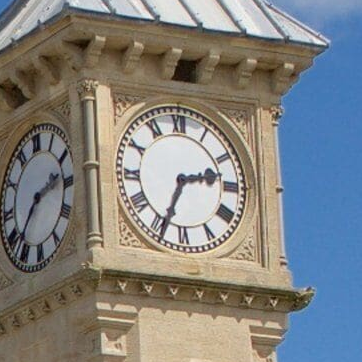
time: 2:33
